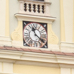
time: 11:21
